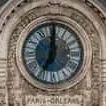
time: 7:00
